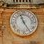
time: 11:24
